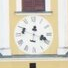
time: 12:18
